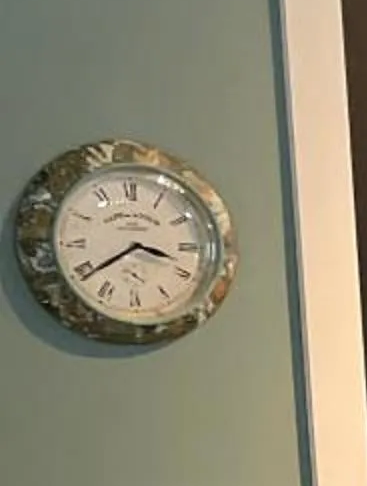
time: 3:39
